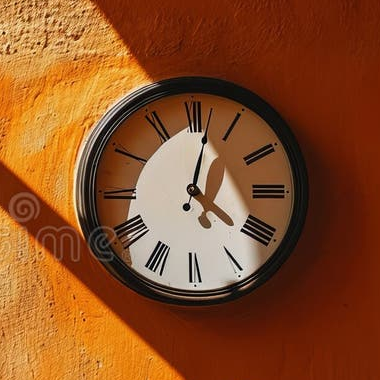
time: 4:01
